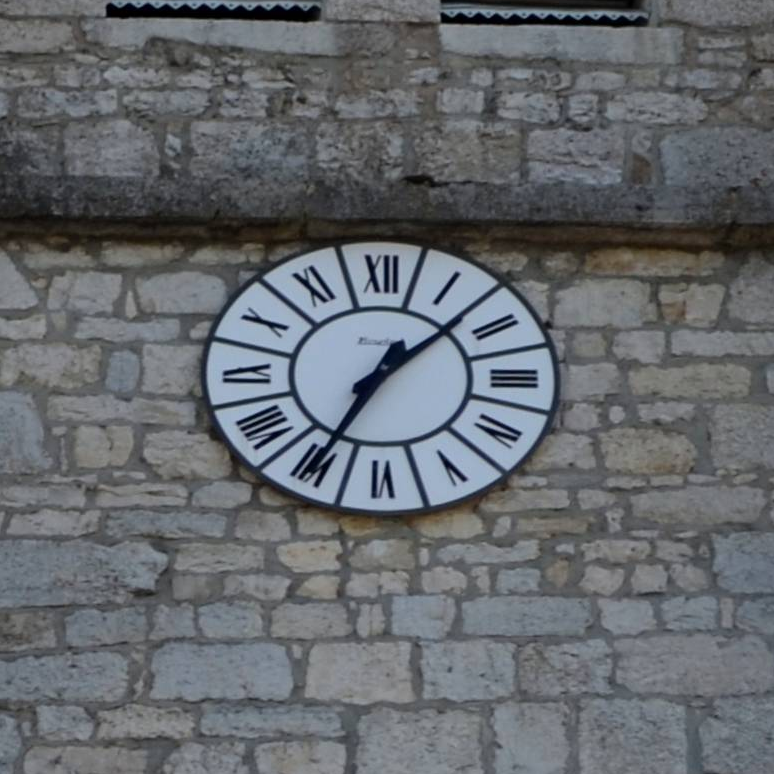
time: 1:34
